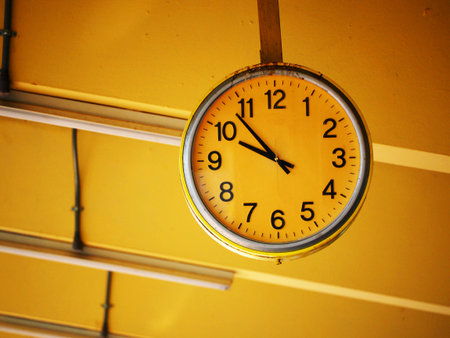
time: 9:53
